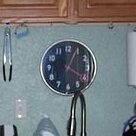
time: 4:04
